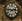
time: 2:46
